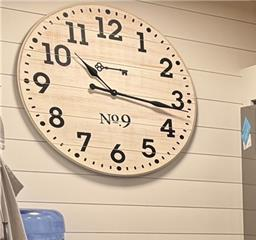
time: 10:16
